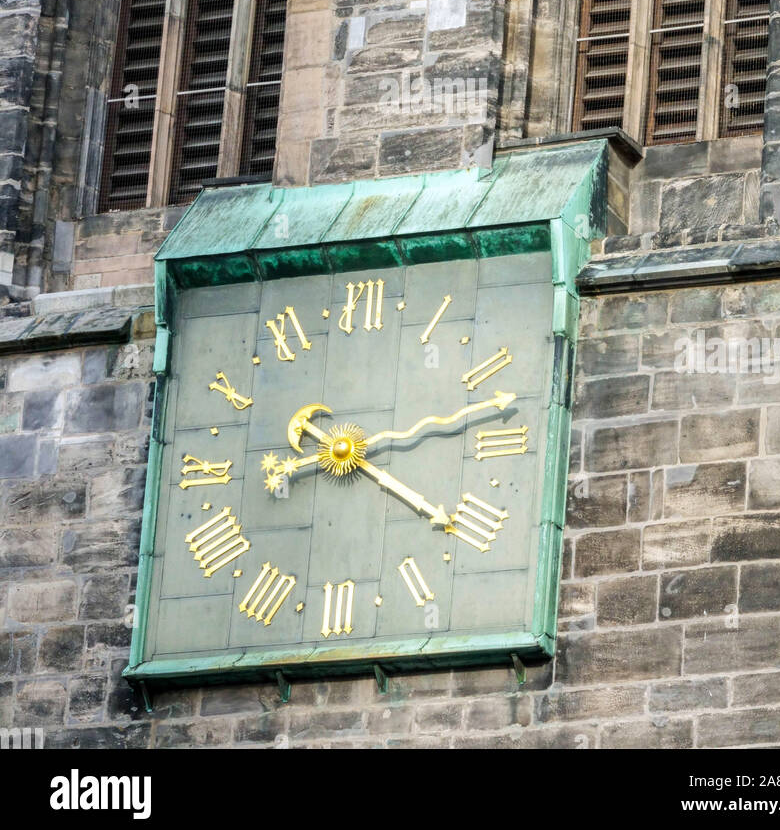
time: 4:13
